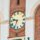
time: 9:34
